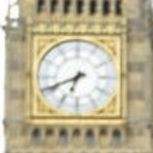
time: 6:41
